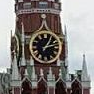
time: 1:13
